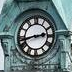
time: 2:42
